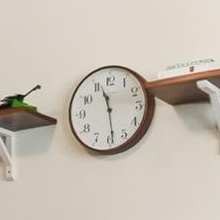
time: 11:28
